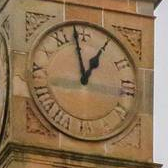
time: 12:58
